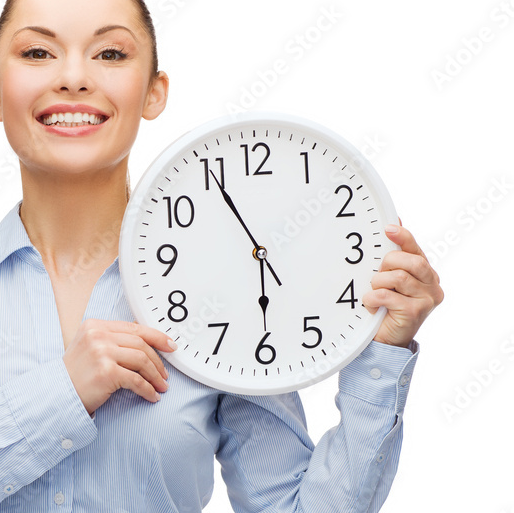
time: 5:55
